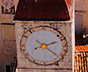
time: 2:21
